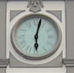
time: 6:02
